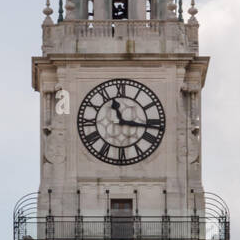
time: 11:16
